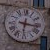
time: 6:16
